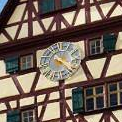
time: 4:22
